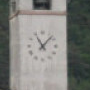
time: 11:07
